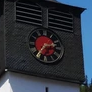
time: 2:36
